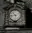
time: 10:43
